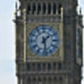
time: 1:28
